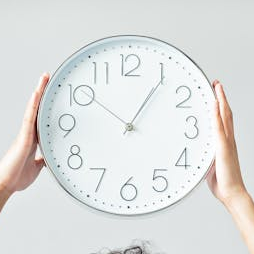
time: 1:05
